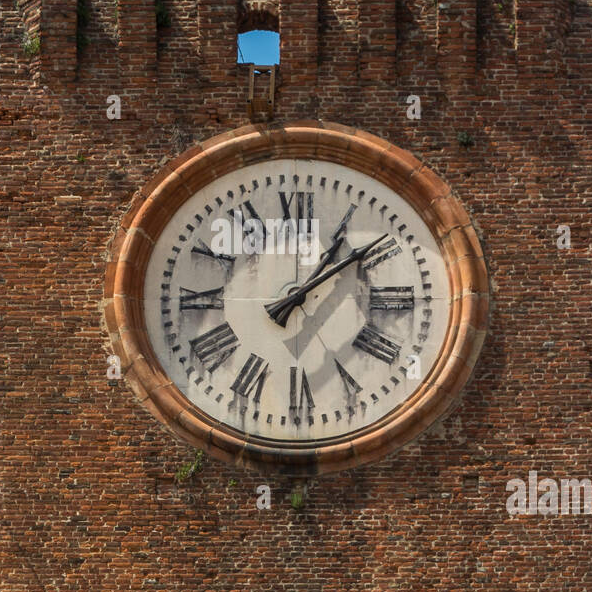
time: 1:08
